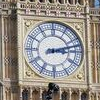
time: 3:12
